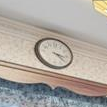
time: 3:21
